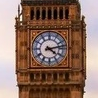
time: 4:12
